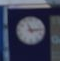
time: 11:14
